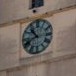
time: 10:41
